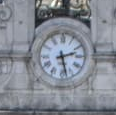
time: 2:27
